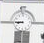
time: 8:45
